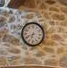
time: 6:41
